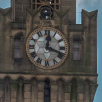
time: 12:18
